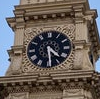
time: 4:29
